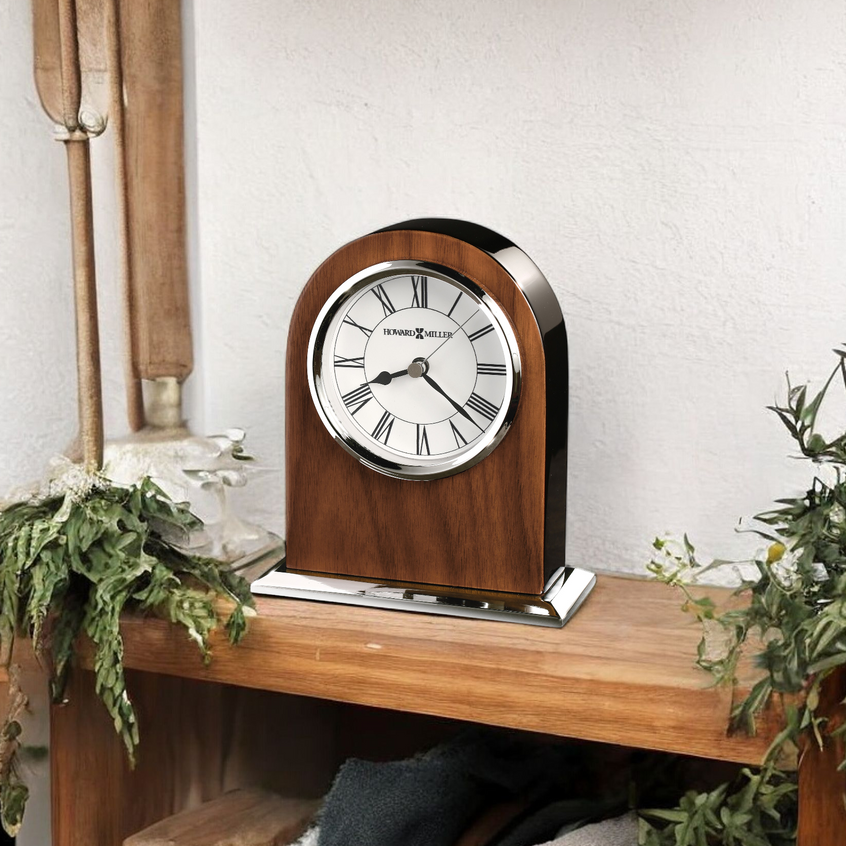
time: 8:21
